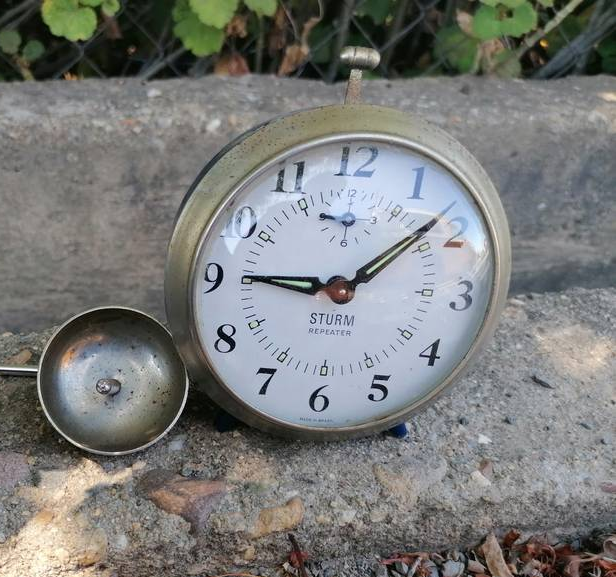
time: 9:08
